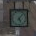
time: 5:06
